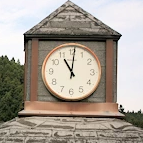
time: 11:01
